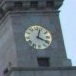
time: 4:03
